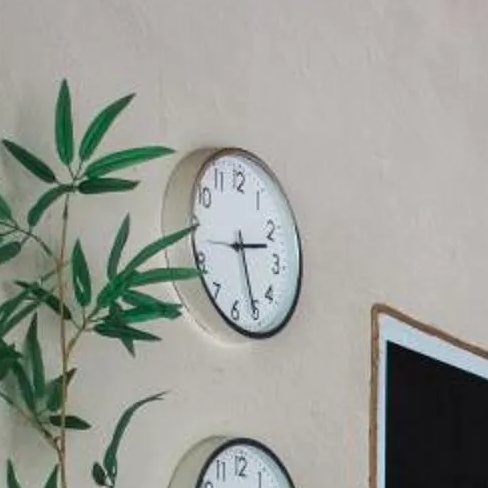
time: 2:25
